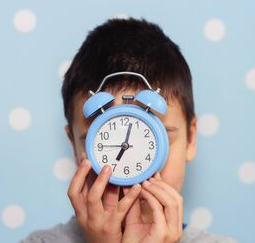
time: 7:02
